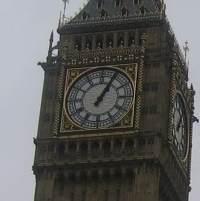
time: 1:05
